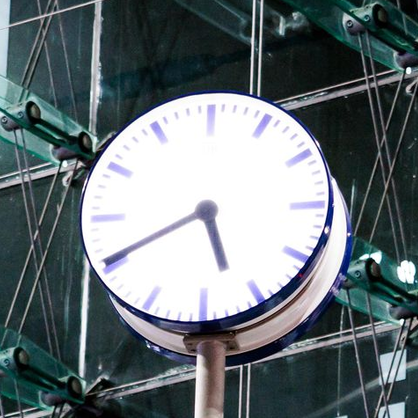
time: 5:40
